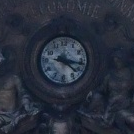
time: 4:16
